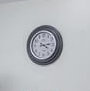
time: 4:13
